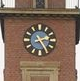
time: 2:24
